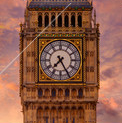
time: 7:25
